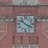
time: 10:20
